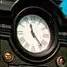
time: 11:23
